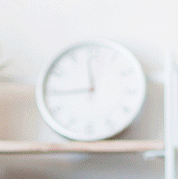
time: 11:44
